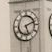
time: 5:11
